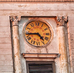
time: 4:44
